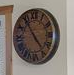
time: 4:54
